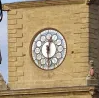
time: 12:28
